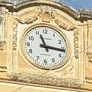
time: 11:16
